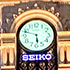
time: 5:47
